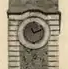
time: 11:11
